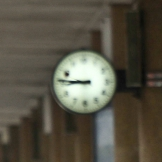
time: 8:46
